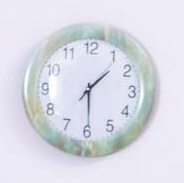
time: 1:29
